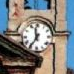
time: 11:35
